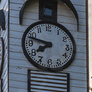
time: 7:47
